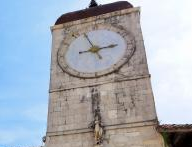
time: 2:56
